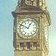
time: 12:49
